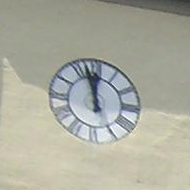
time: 11:57
